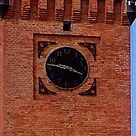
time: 3:46
